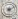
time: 6:10
